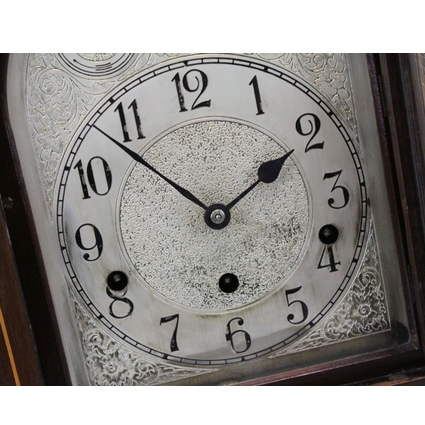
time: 1:53
